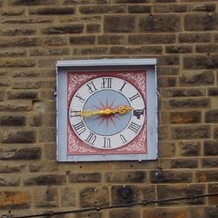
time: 2:43
